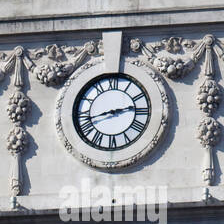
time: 2:42
